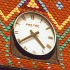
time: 4:39
